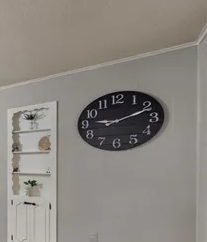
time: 9:11
